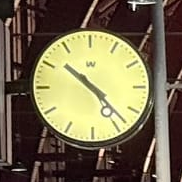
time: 10:22
